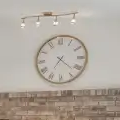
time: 7:22
